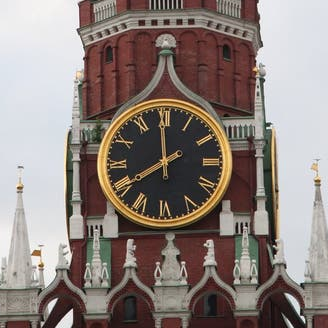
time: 7:59
